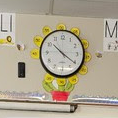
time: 10:20
